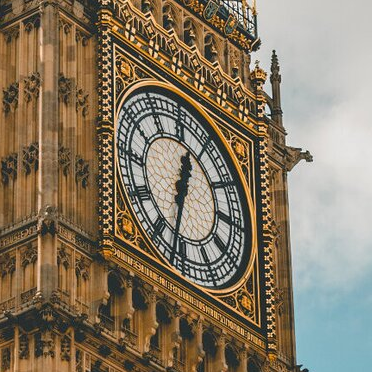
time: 12:32
